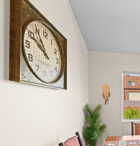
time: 10:48
